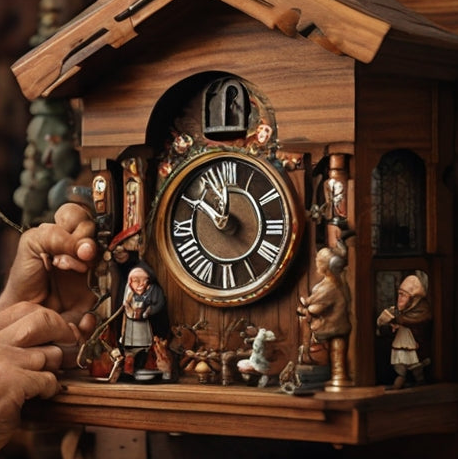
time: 11:50
